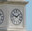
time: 1:47
